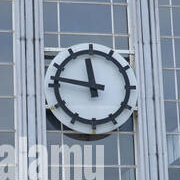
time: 11:46
